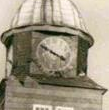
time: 3:50
